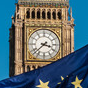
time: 3:37
